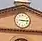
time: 3:14
